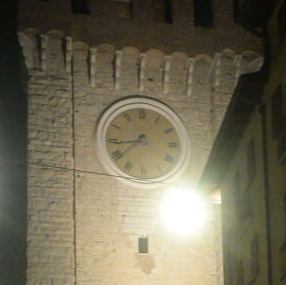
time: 8:38
